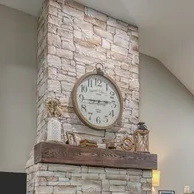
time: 2:44
